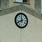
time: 11:41
